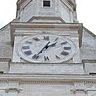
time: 1:34
